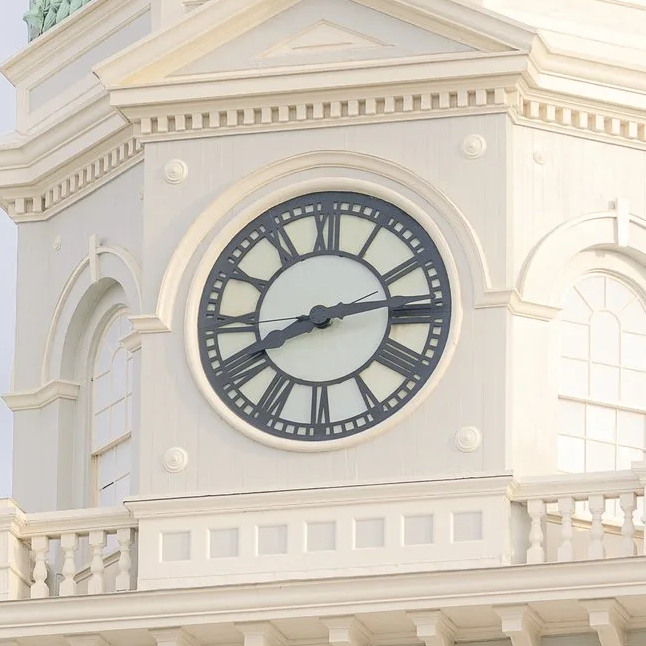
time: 8:13
